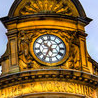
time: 10:34
